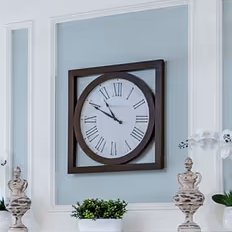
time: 10:49
